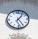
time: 1:24
